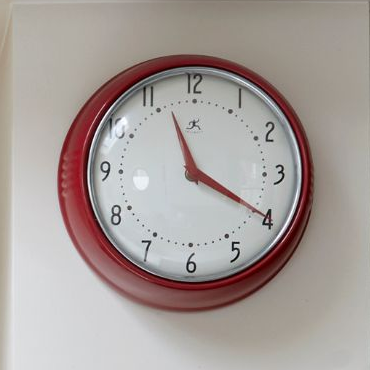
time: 11:19
